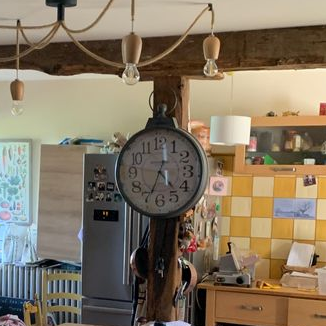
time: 4:33
